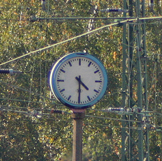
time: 4:29
